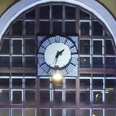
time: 1:32
